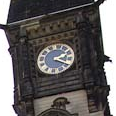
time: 2:18
